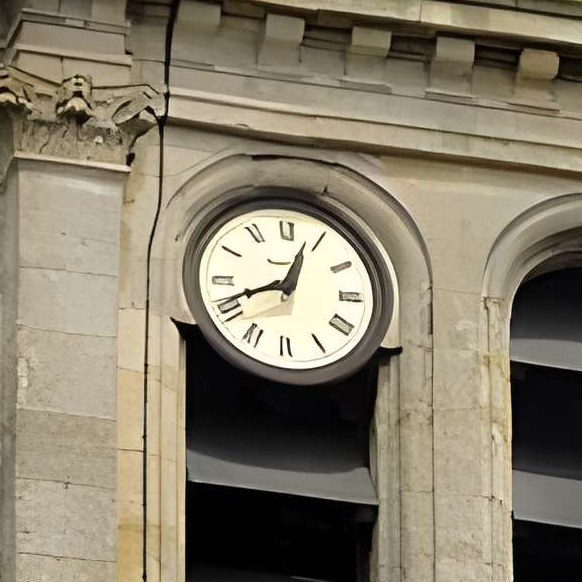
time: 12:41
